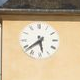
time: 5:38
